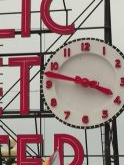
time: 3:47
